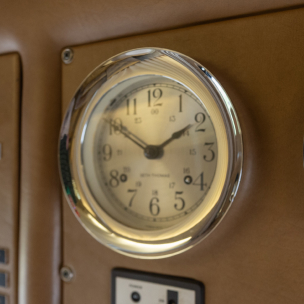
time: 1:51
